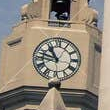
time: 10:47
